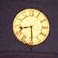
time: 8:29
